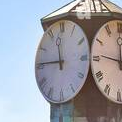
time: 11:45
